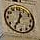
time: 12:35
